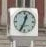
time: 12:34
